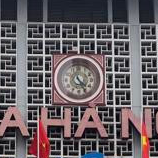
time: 4:25
